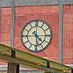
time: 4:28
